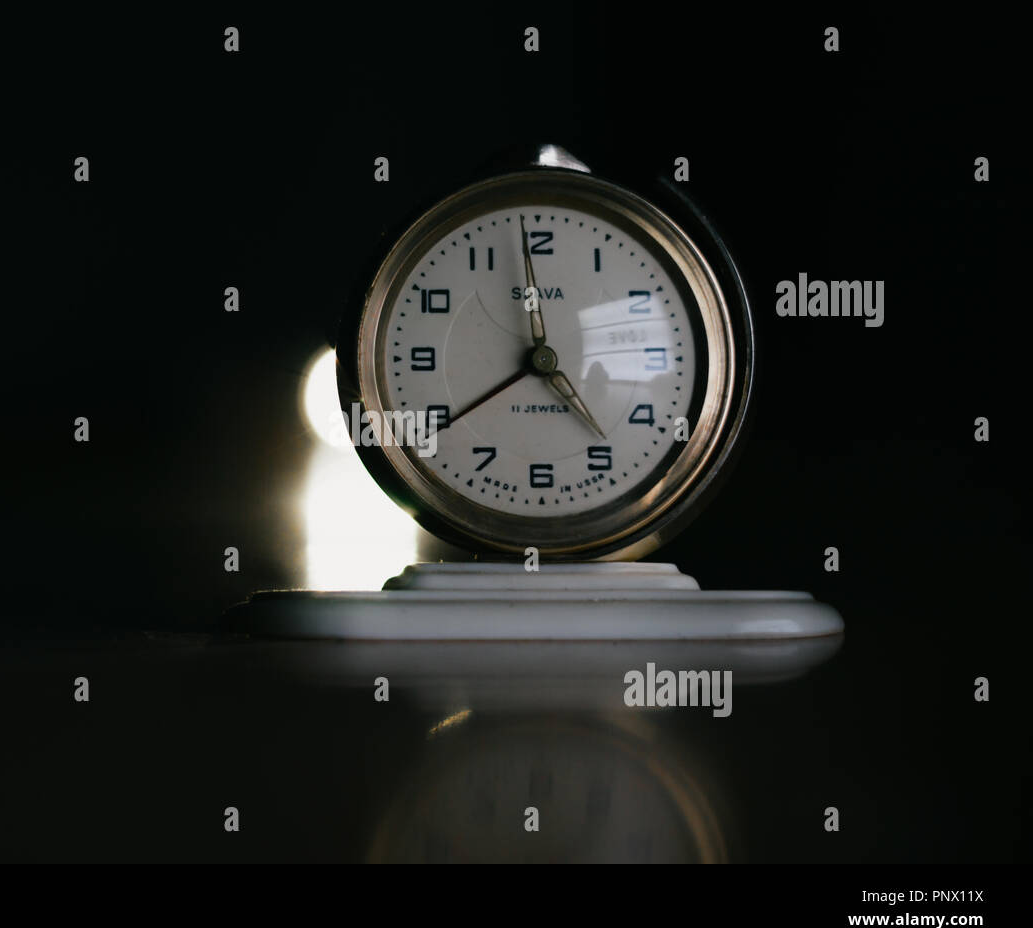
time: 4:39
